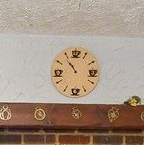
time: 10:53
